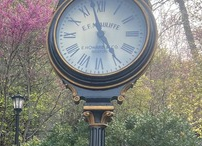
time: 4:57
